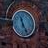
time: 11:24
